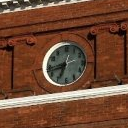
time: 6:42
